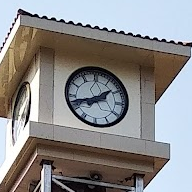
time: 1:42
